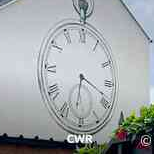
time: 6:18
